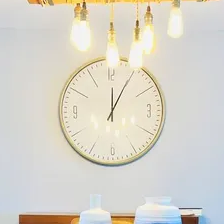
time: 12:04
